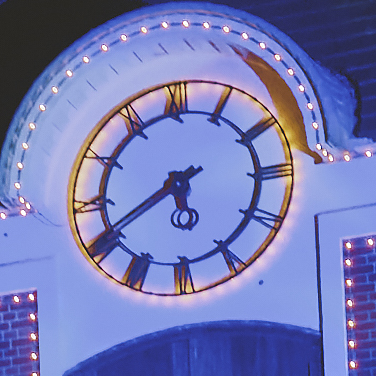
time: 5:40
